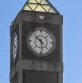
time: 5:52
